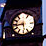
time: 5:43
